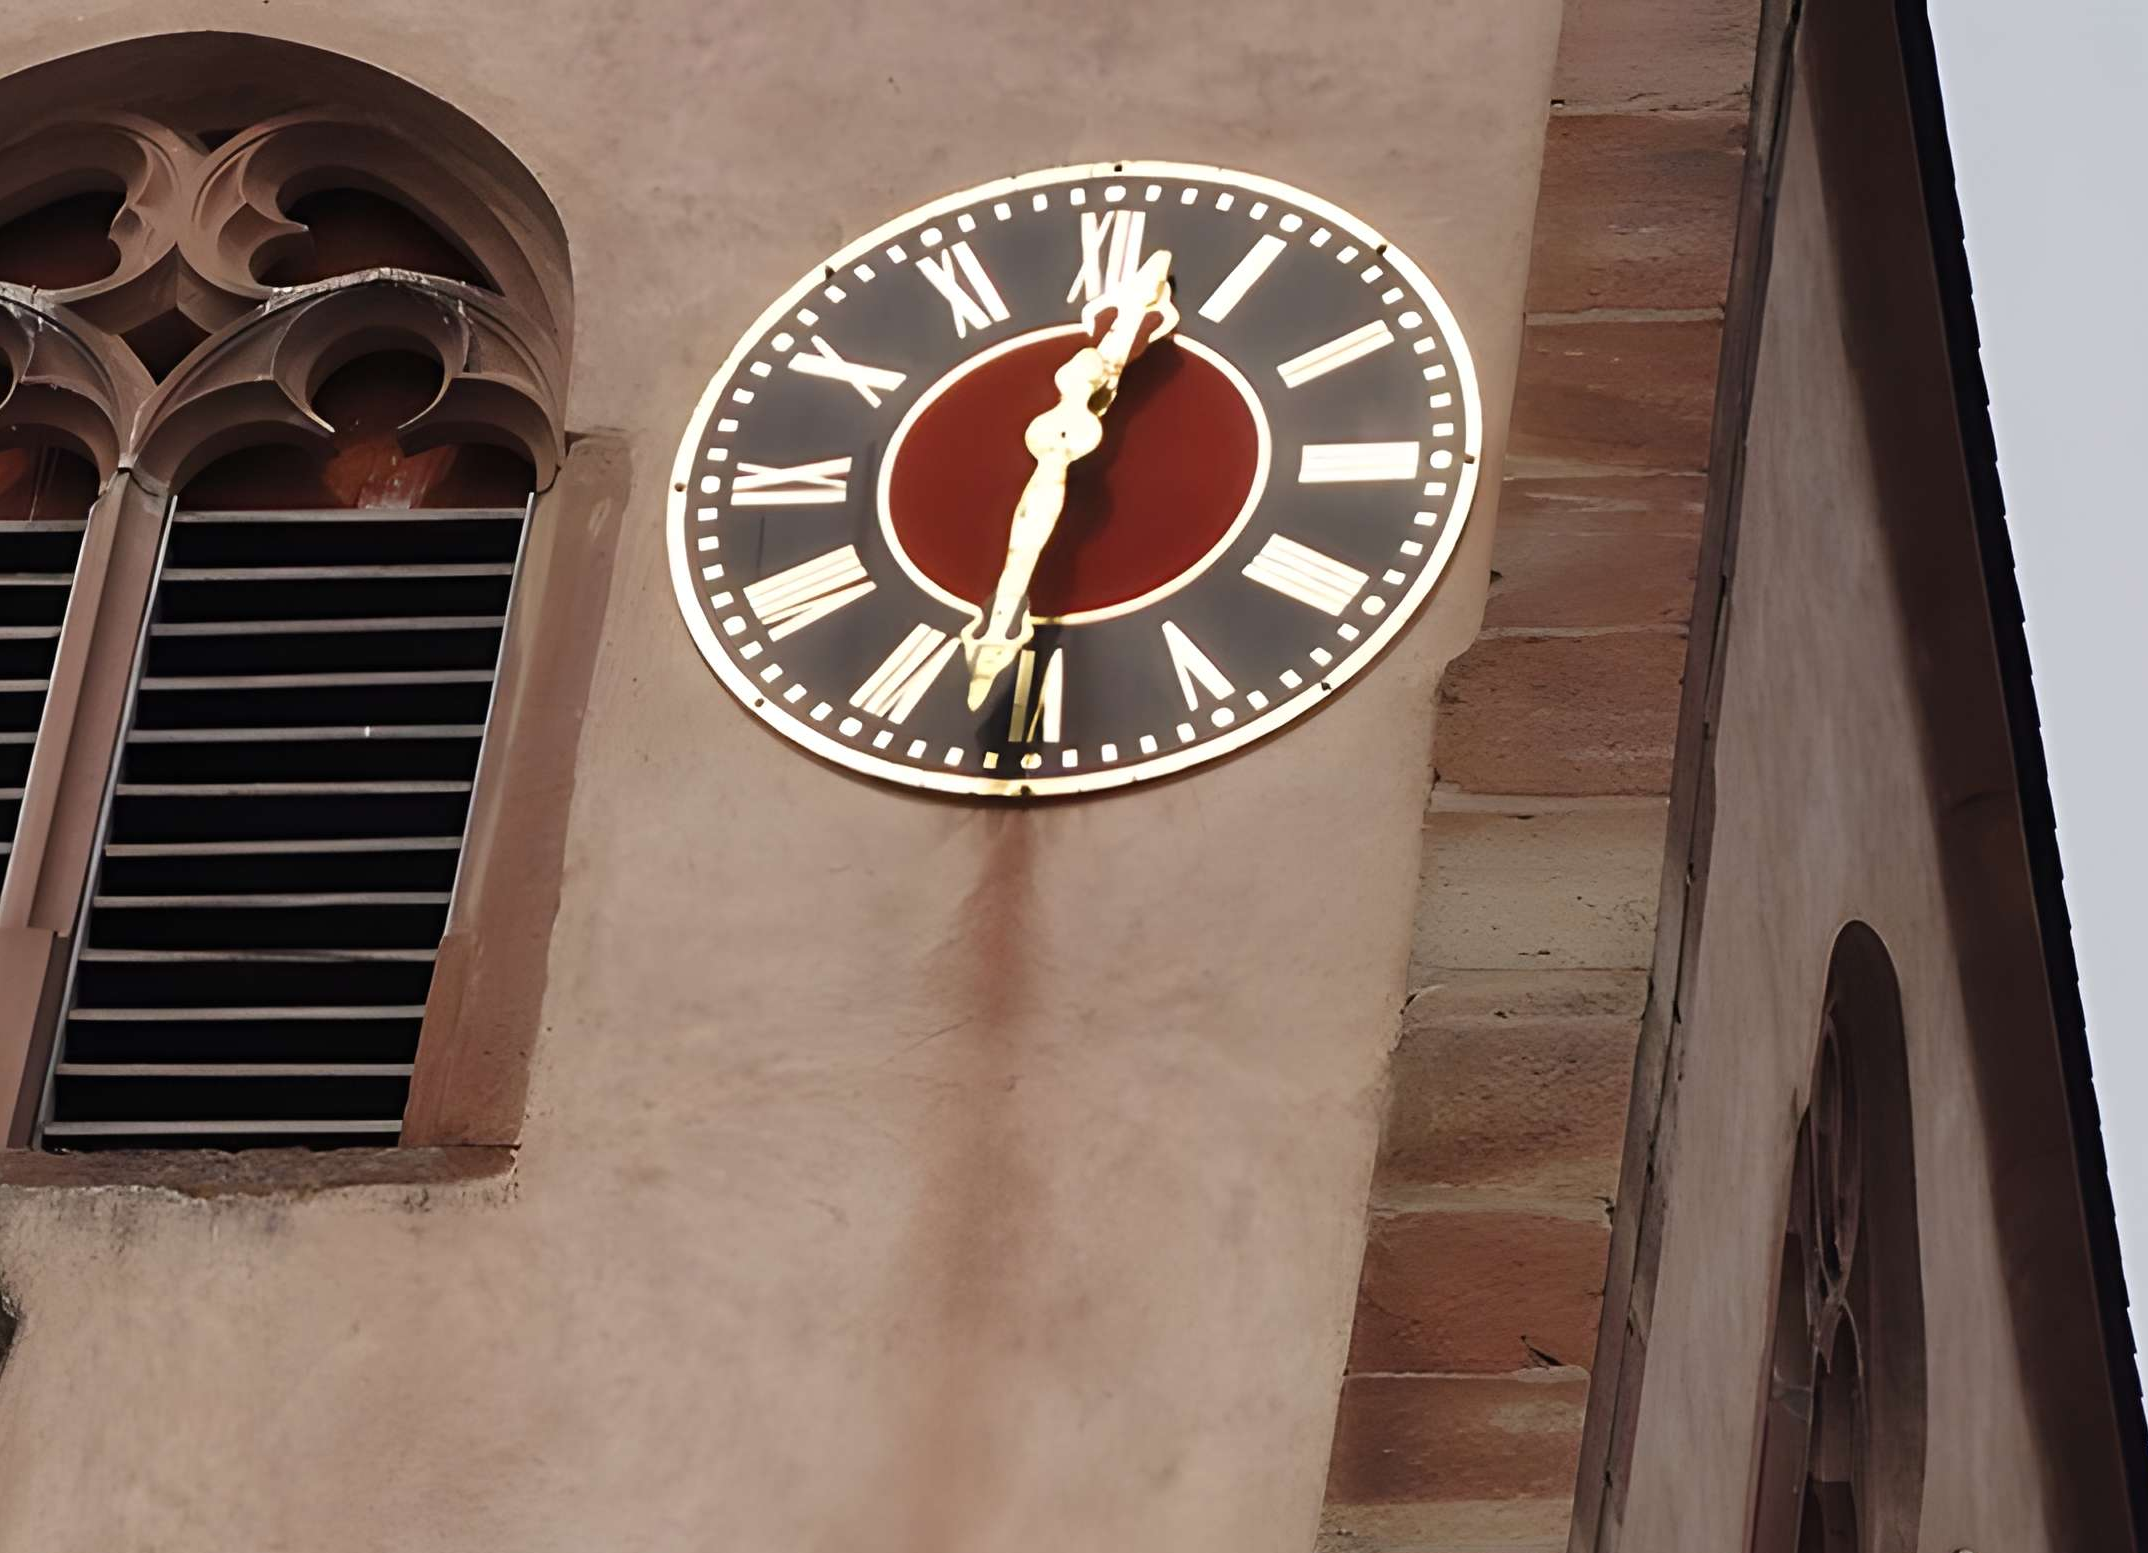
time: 12:31
